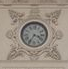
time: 3:35
